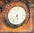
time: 5:35
